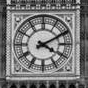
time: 4:10
